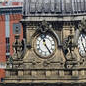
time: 11:24
